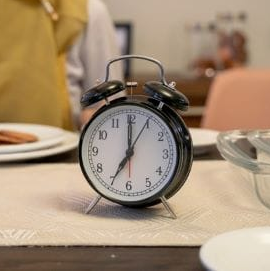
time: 7:00
